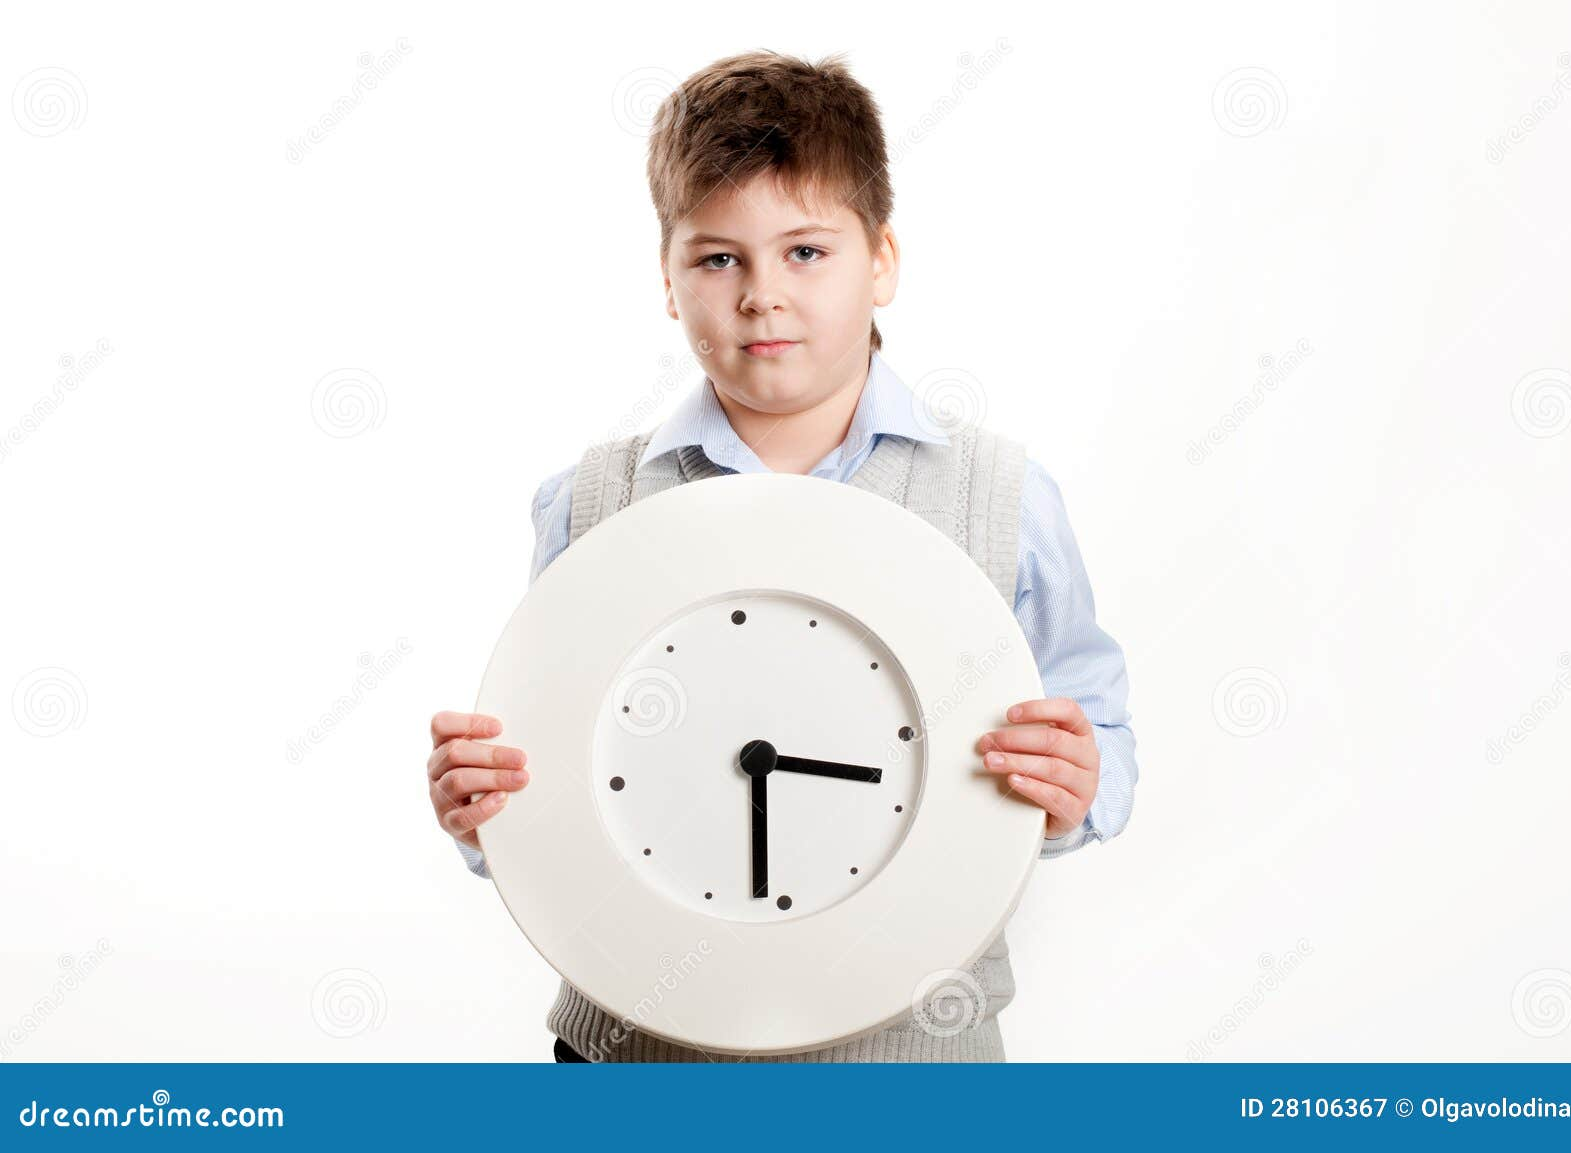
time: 6:18
